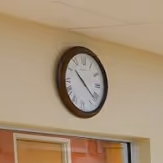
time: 10:21
